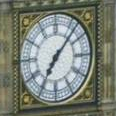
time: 7:07
